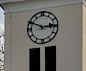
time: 2:49
